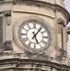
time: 5:06
